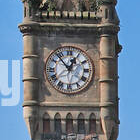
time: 12:53
